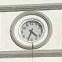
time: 4:33
